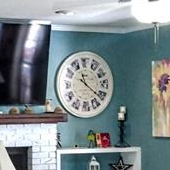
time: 11:21
